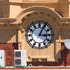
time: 3:04
